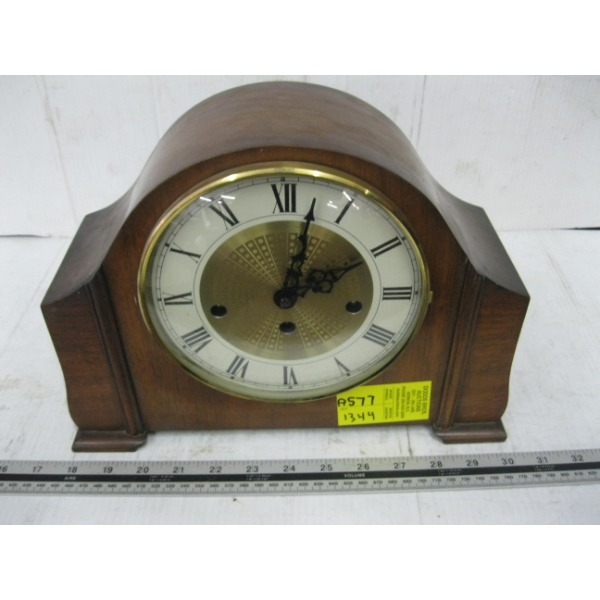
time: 2:02
